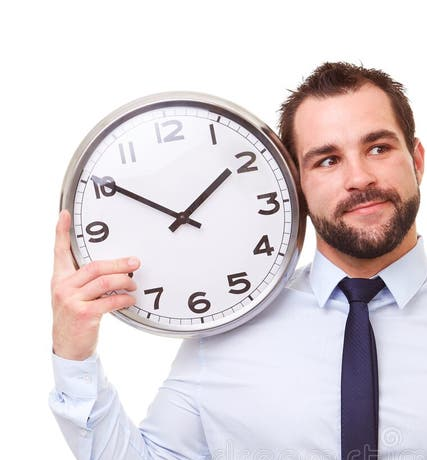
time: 1:50
